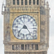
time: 7:24
